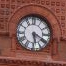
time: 5:19
